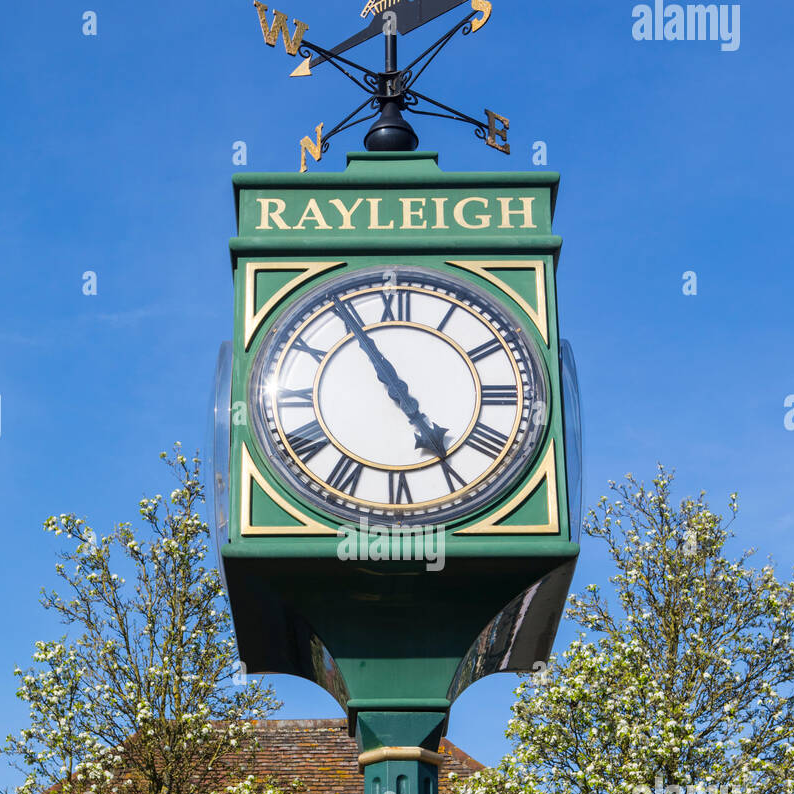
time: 4:54
